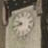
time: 9:42
